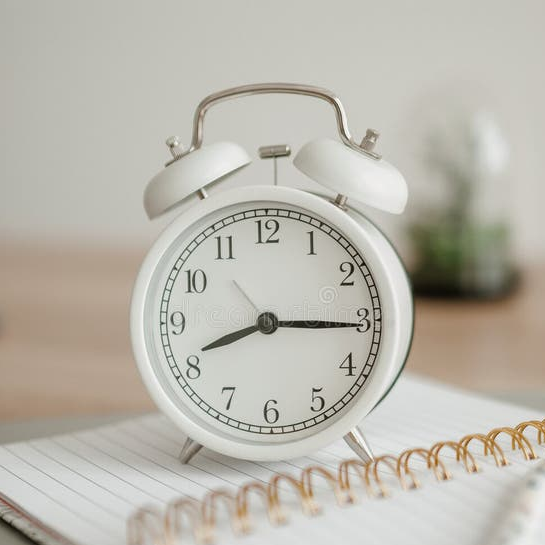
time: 8:15
